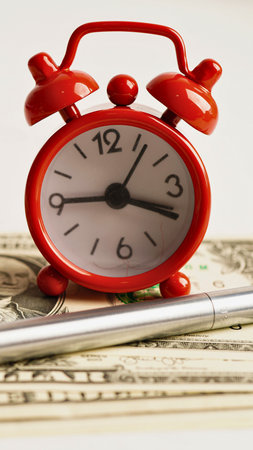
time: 3:45
